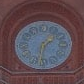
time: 1:31
